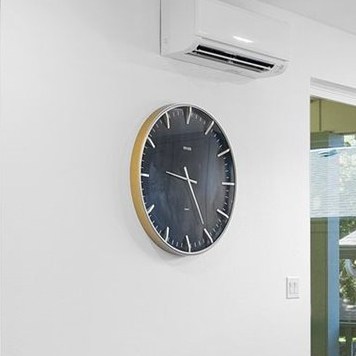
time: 9:25
